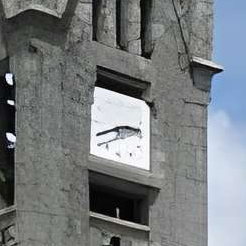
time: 2:40
